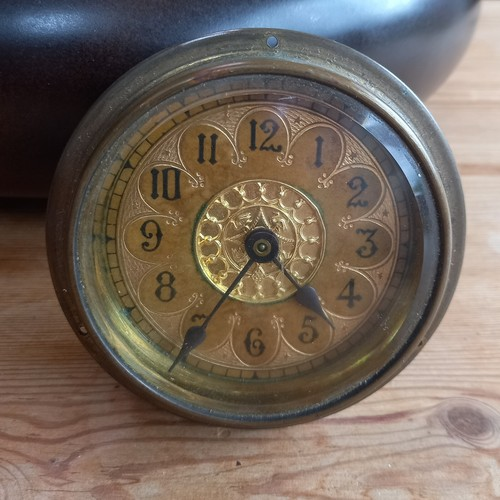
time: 4:35
